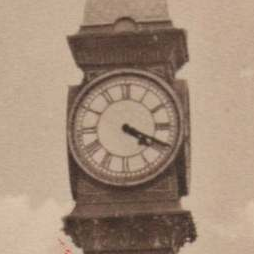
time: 4:19
